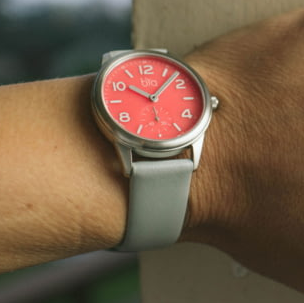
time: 10:07
